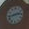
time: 2:43
